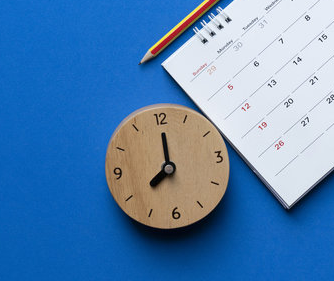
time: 8:00
